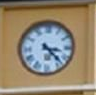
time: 3:22
